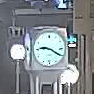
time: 9:20
